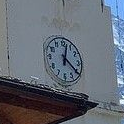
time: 12:20
